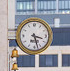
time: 3:27
